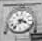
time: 3:36
